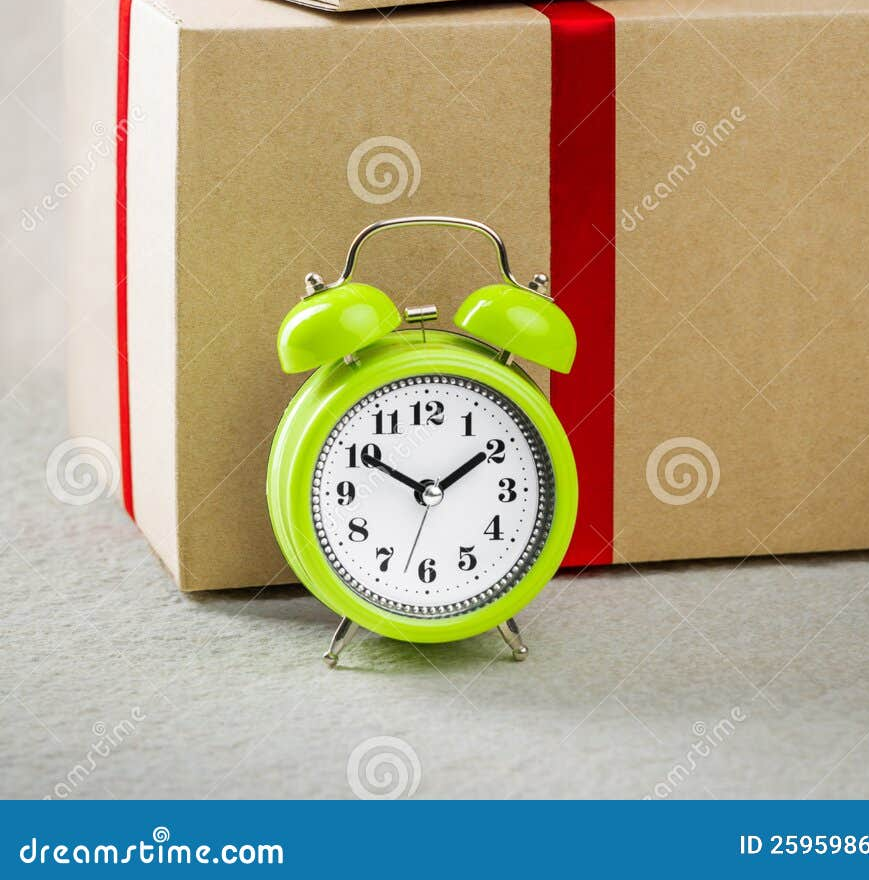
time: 1:50
